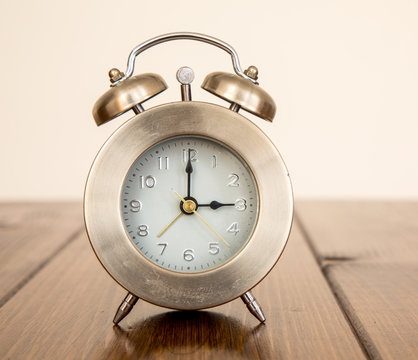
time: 3:00
